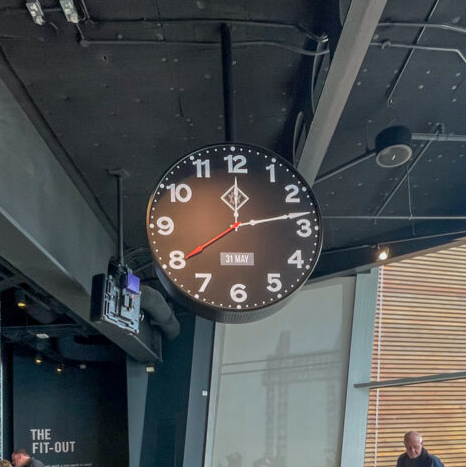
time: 12:13
